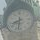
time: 8:32
